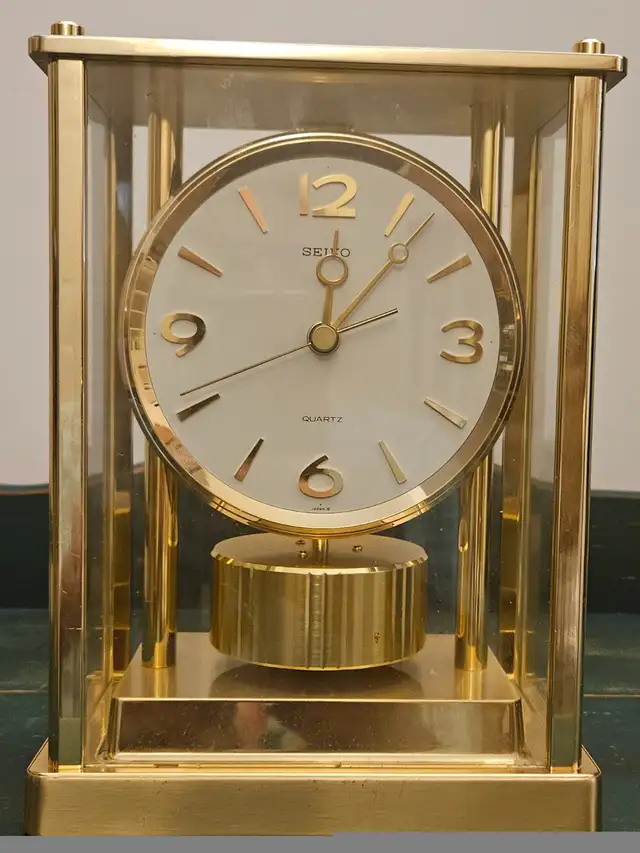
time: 12:07
